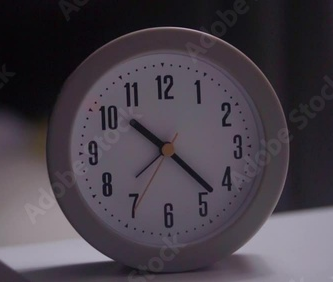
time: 10:22
